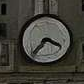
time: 3:37
